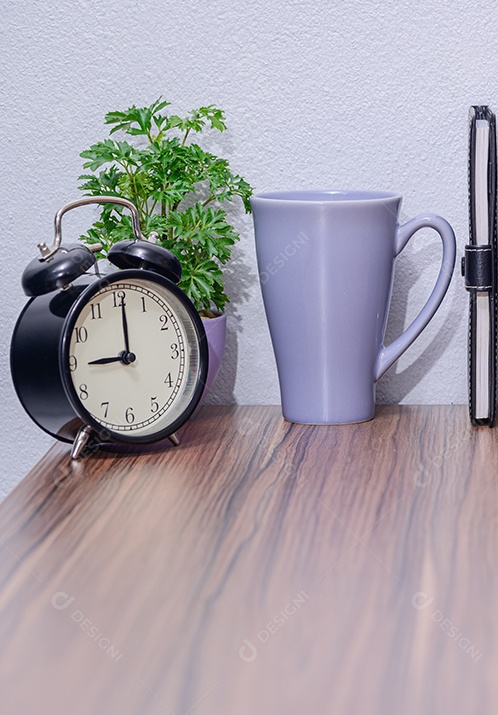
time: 9:00
